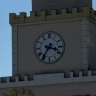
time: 3:35
